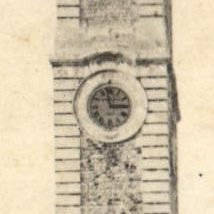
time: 2:58
